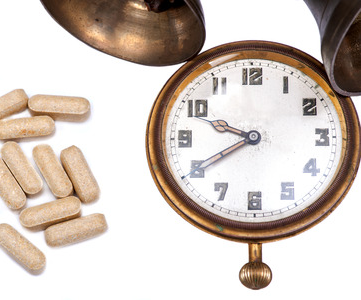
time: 9:40
